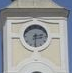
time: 2:30
